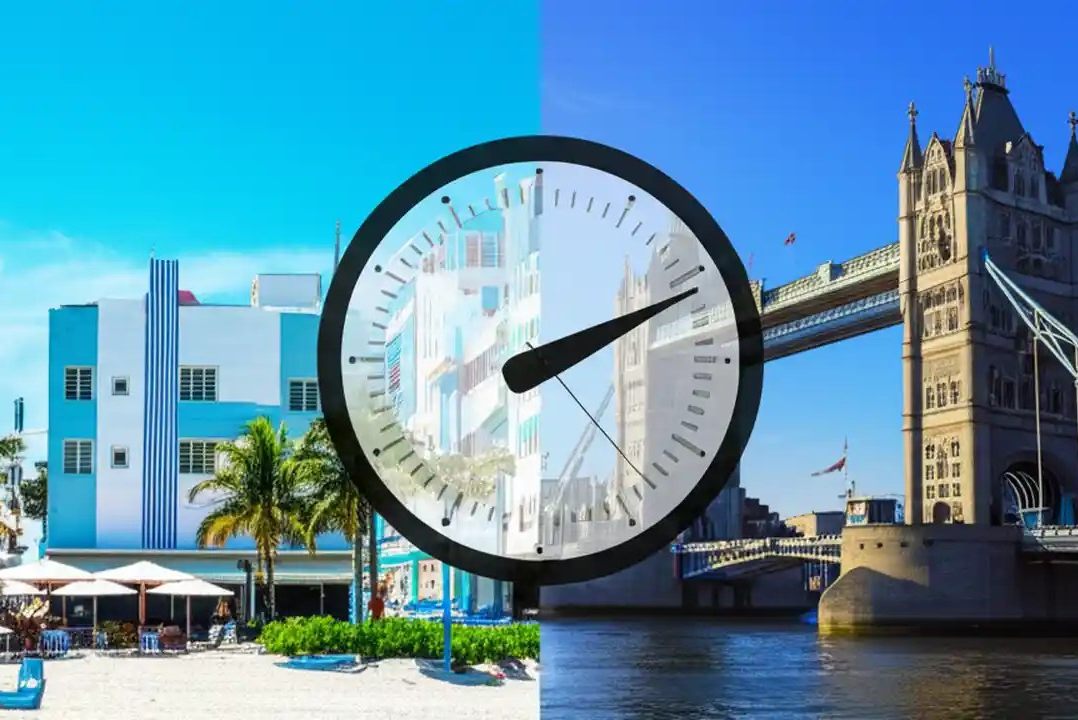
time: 2:11
